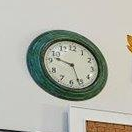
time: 9:26
